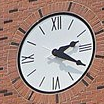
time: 2:20
